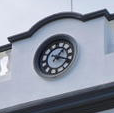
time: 1:18
